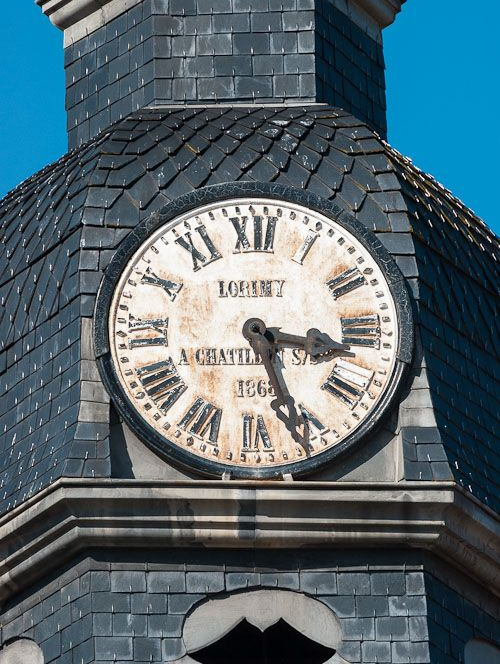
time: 3:26
